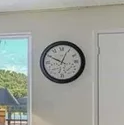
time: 12:49
